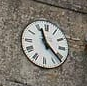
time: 11:21
